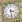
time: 3:29
